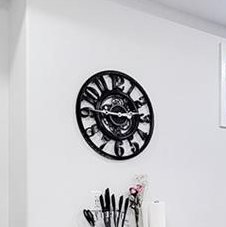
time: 2:45
